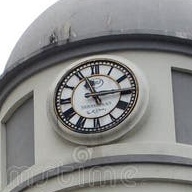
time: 11:14
